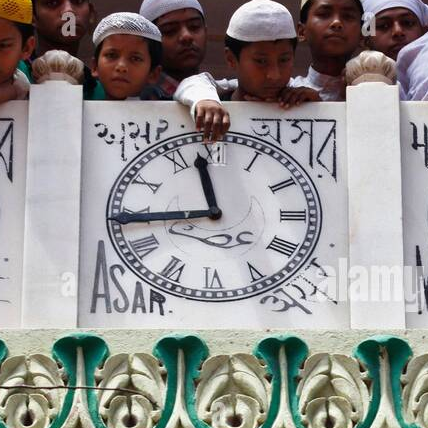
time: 11:44
